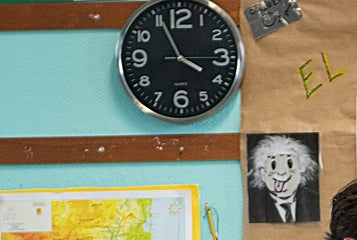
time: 3:55
